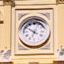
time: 6:50
